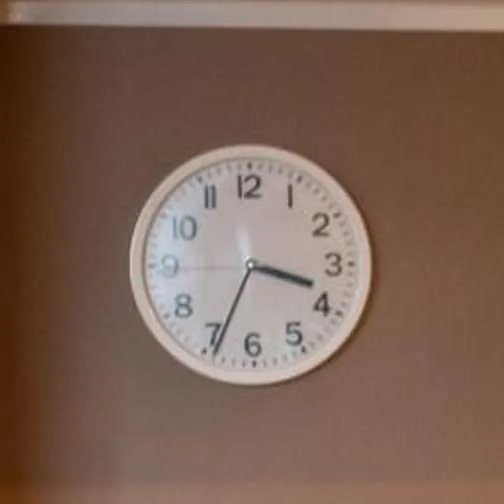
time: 3:34
